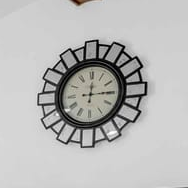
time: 12:14
